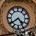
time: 4:39
